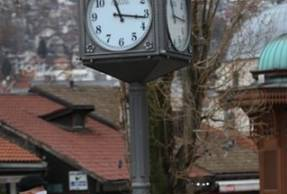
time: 11:16
